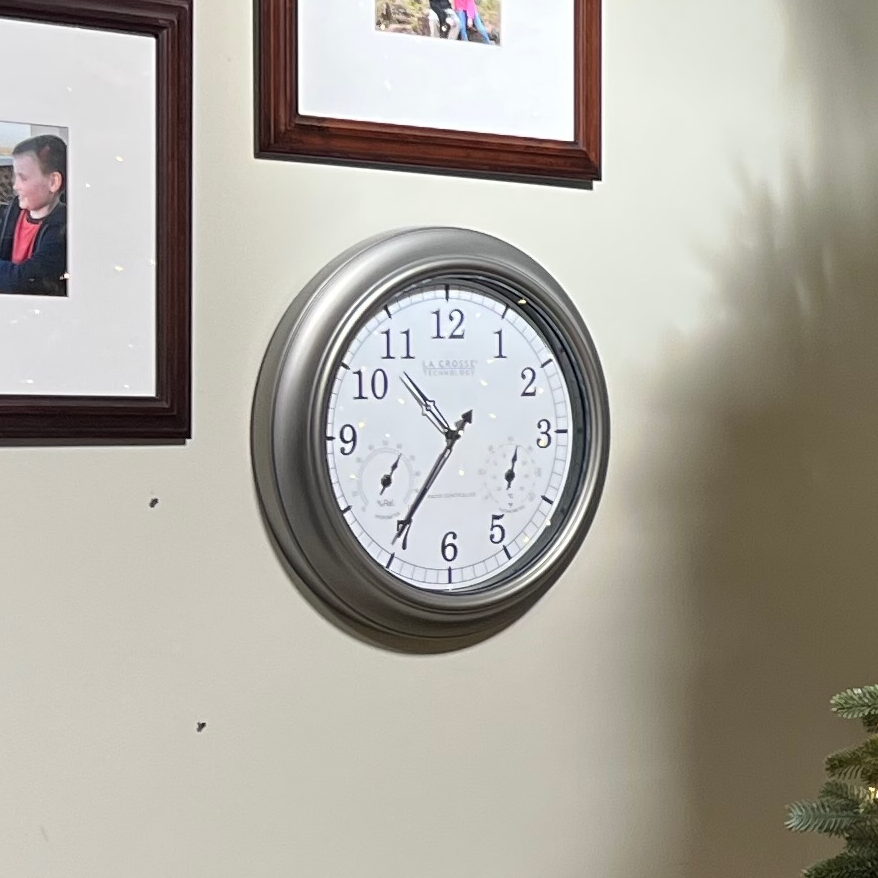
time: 10:35
